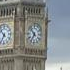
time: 6:52
